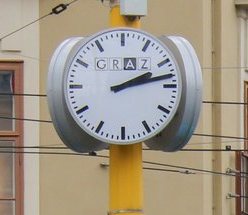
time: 2:12
